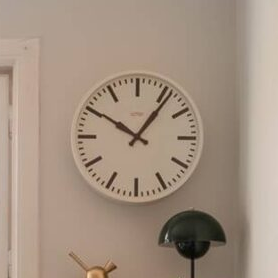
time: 10:06
